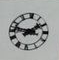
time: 1:46
